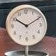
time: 10:10
